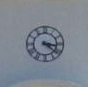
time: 3:21
